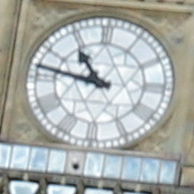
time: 10:46
